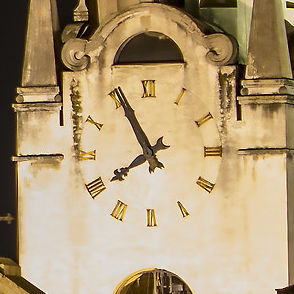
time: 7:55
